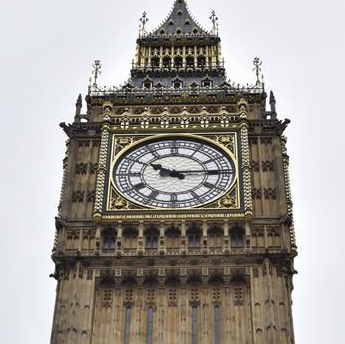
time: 10:14
